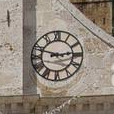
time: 2:48
